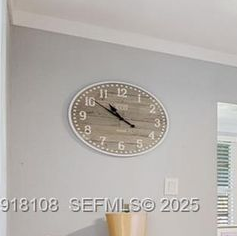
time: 10:51
